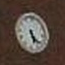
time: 5:21
